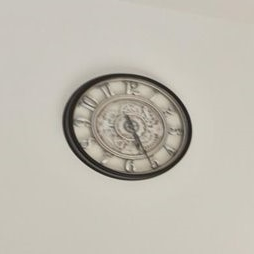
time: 5:25
